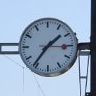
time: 1:36
